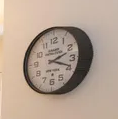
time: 2:18
